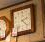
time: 2:22
